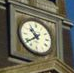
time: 10:38
